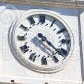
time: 4:21
